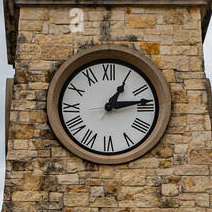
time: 1:13
